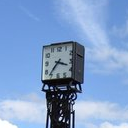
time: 3:37
